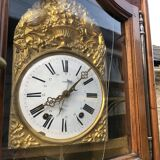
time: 8:07
